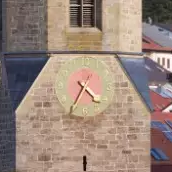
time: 4:35
